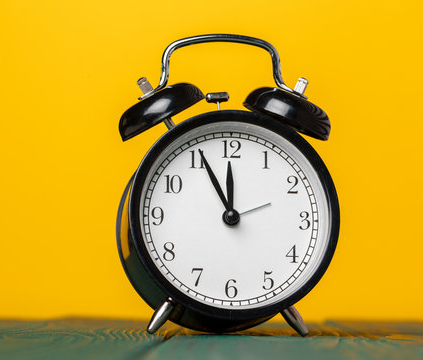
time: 11:55
